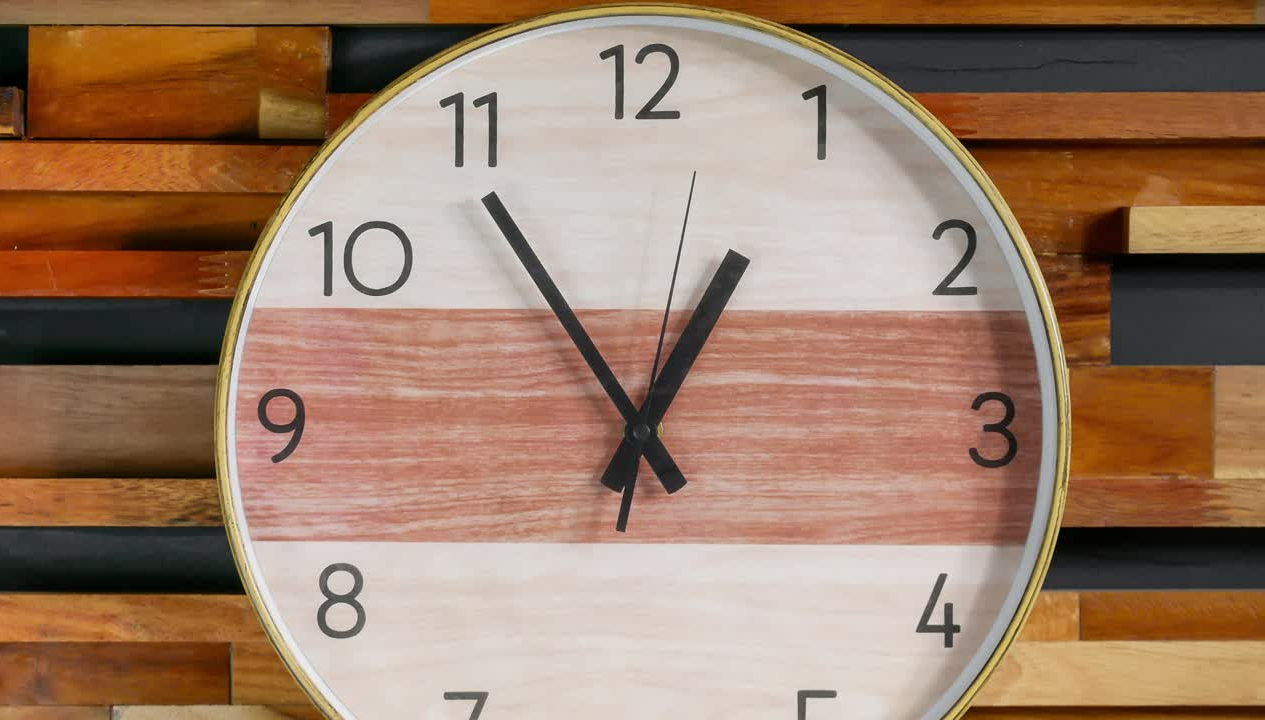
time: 12:54
